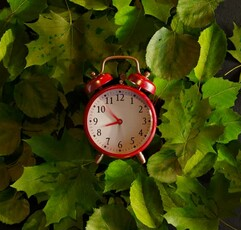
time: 10:42
